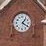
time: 1:20
